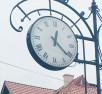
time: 12:21
